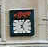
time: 5:04
